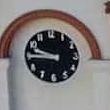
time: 9:45
